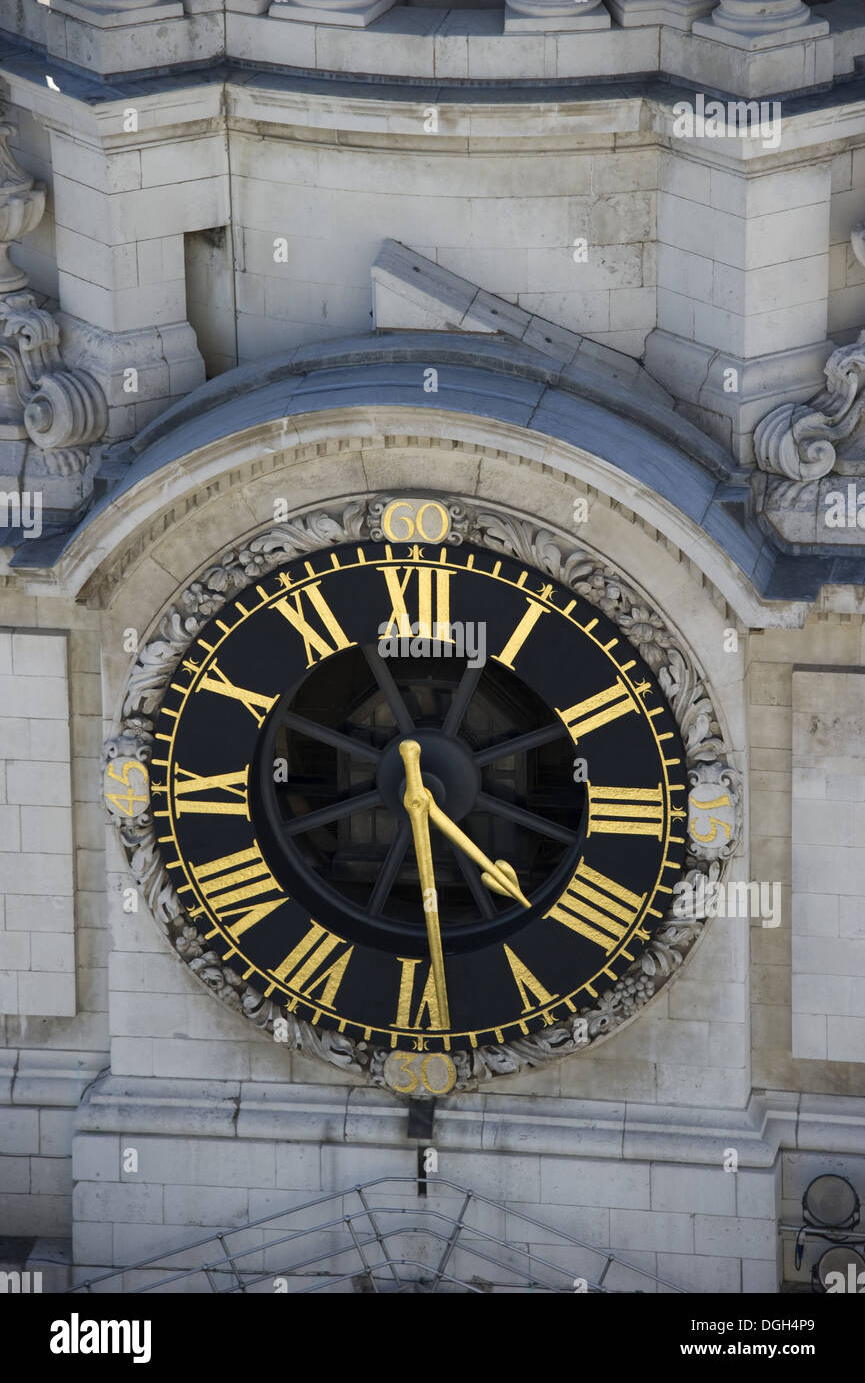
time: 4:29
